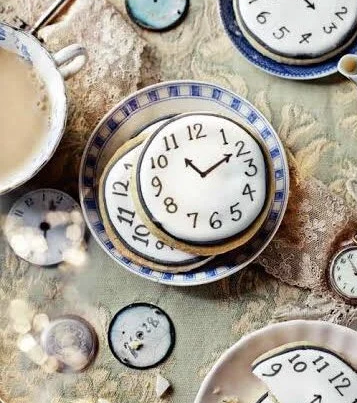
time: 11:10
